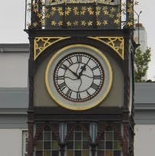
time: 12:51
